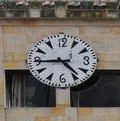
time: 4:44
